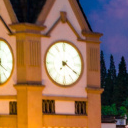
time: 7:20
